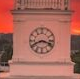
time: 8:17
